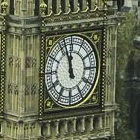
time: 11:57
